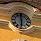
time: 5:59
